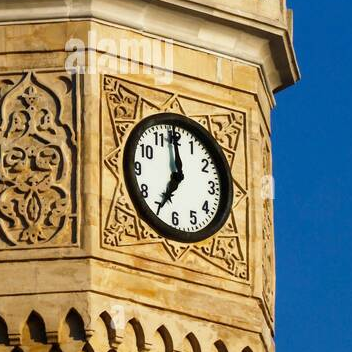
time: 6:59
